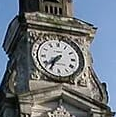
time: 7:35
